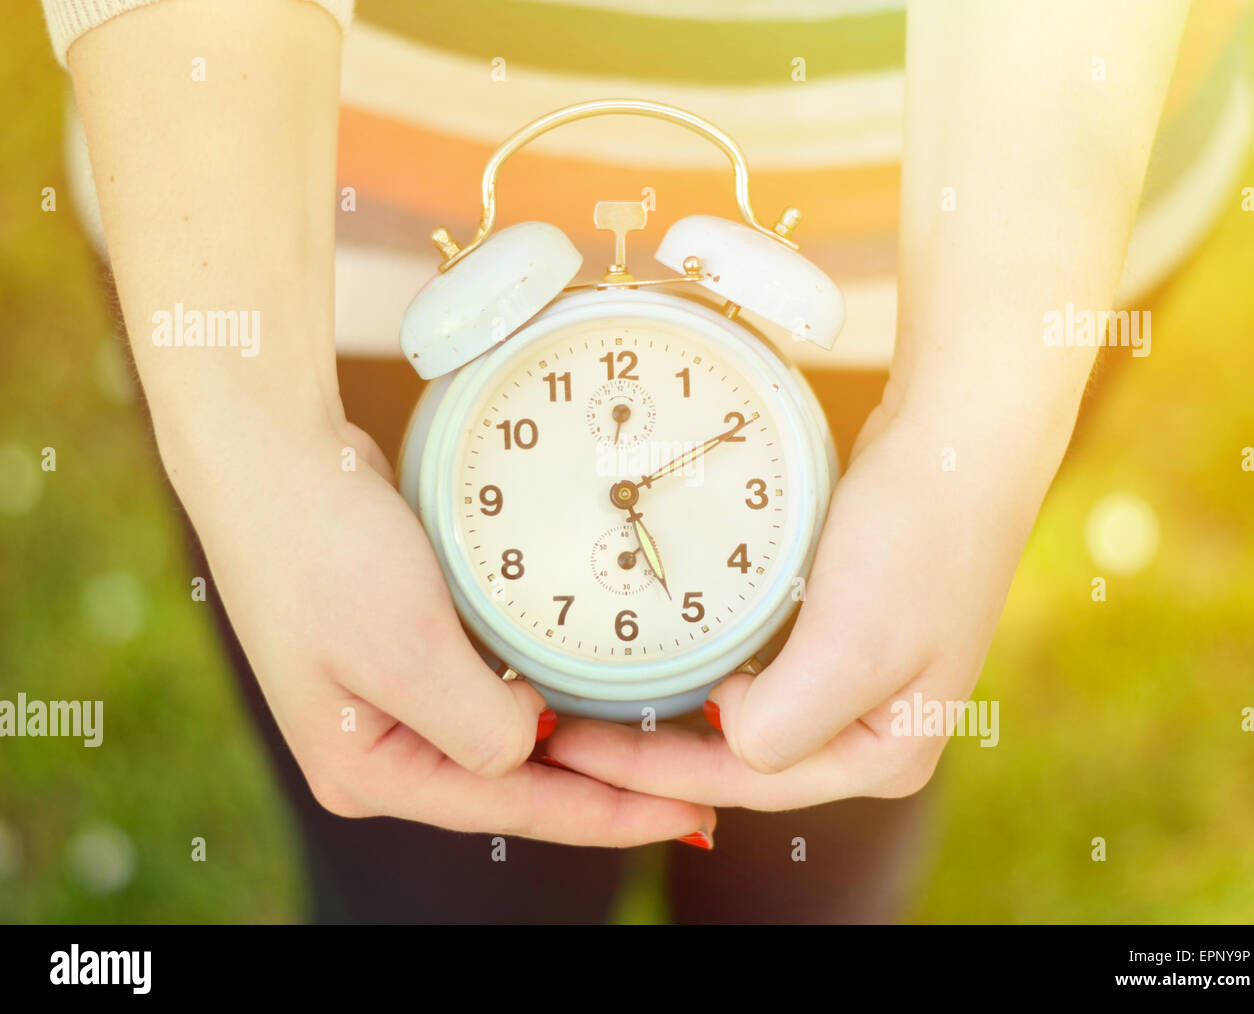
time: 5:10
